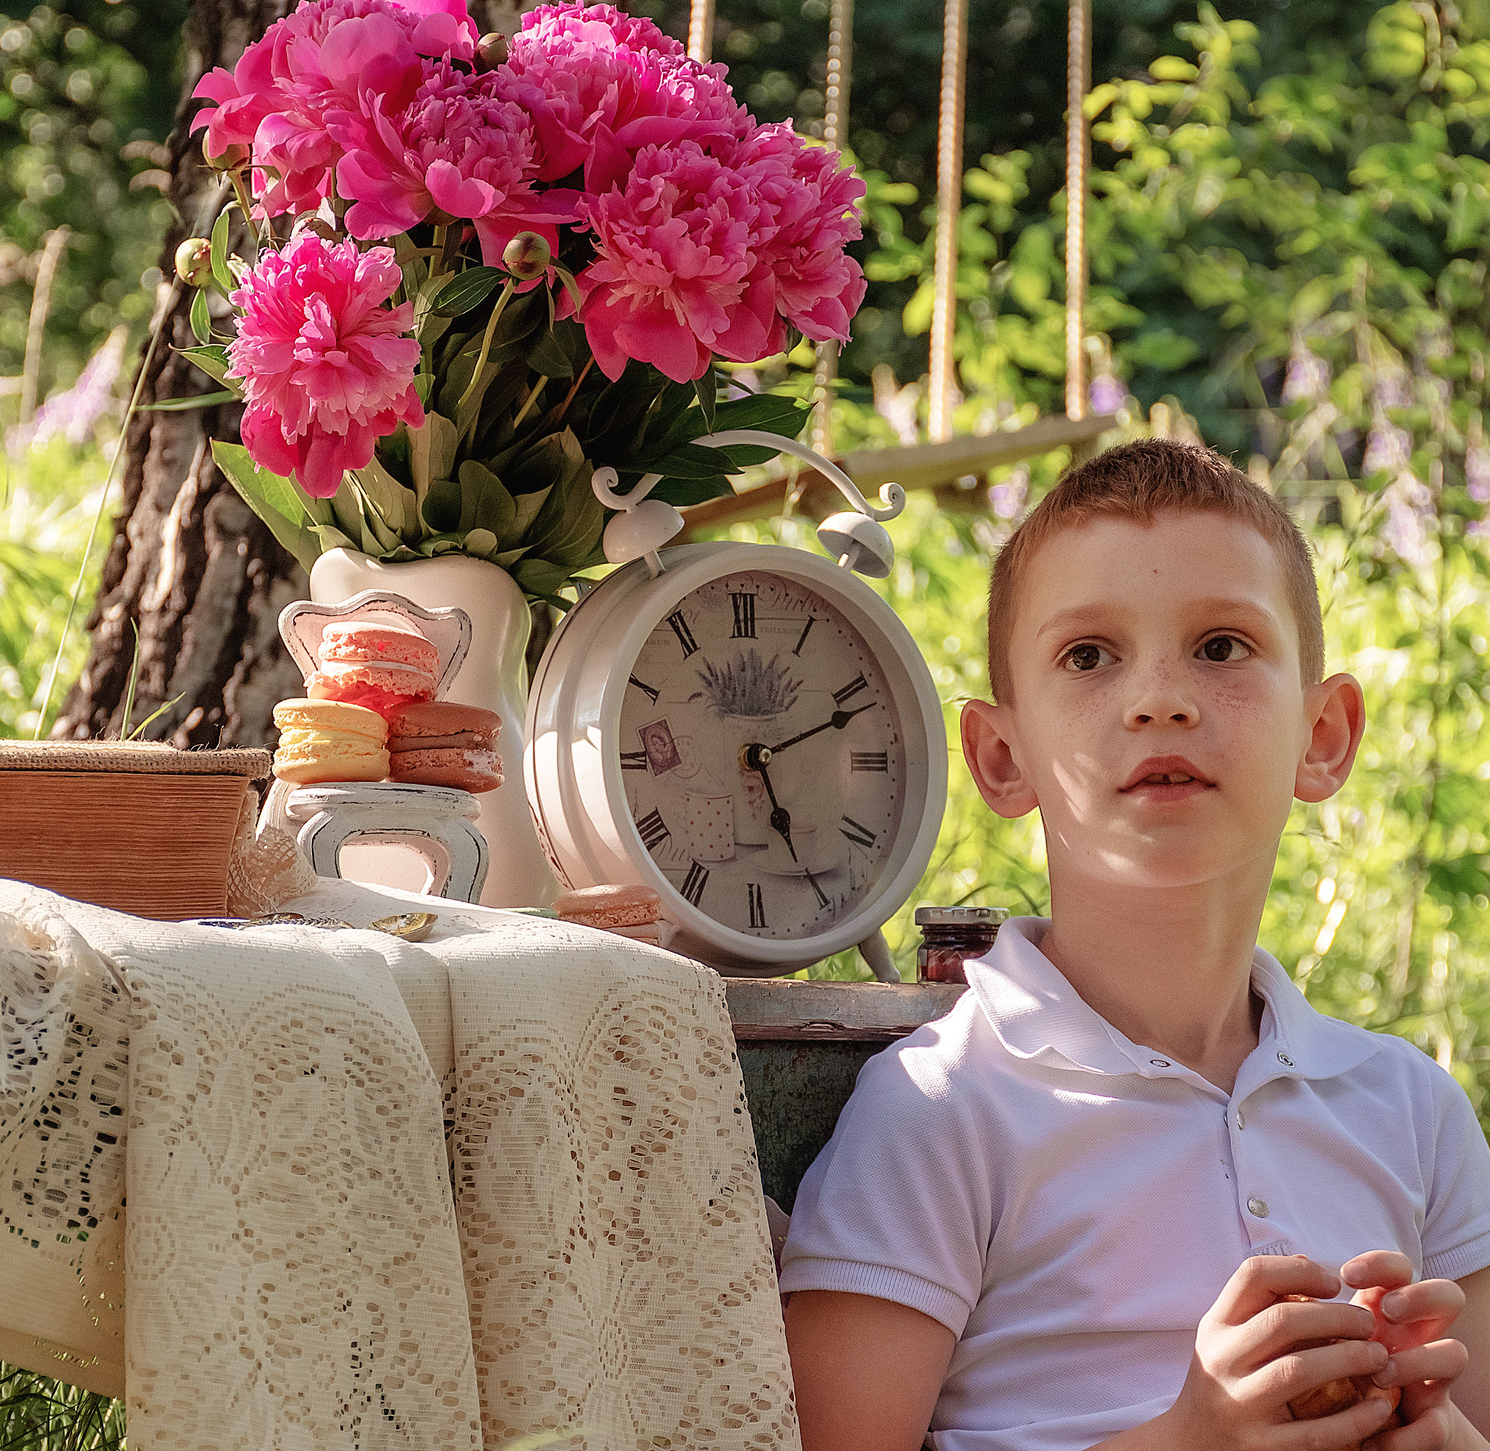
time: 5:11
